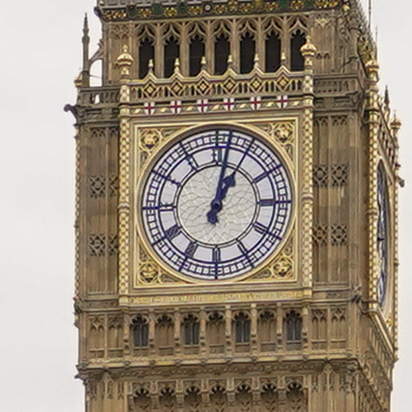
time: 1:02
